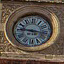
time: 9:16
